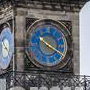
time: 10:19
